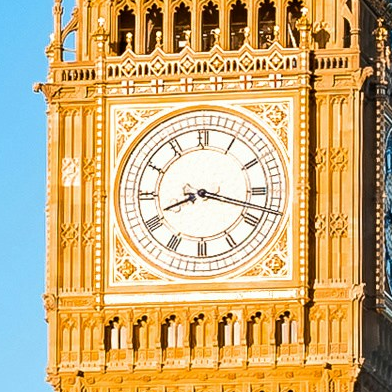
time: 8:17
